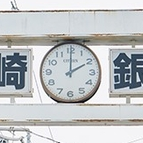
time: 2:00
